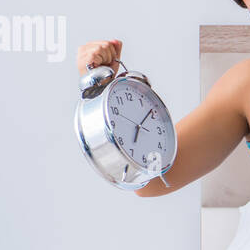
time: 7:08
